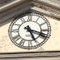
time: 5:18
